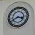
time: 3:40
